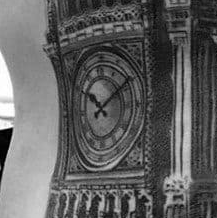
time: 10:10
